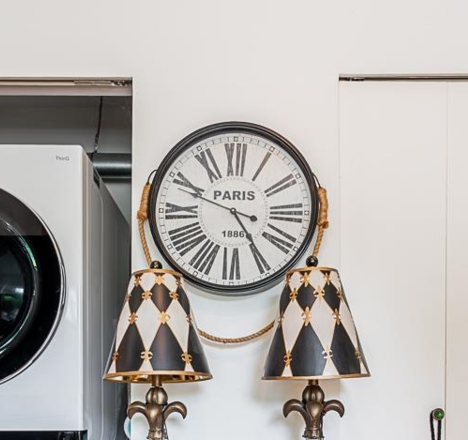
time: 4:48
